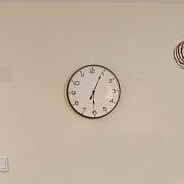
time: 6:04
